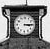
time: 3:14
